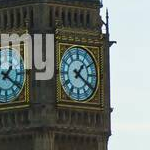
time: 1:20
